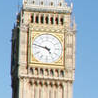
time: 4:47
